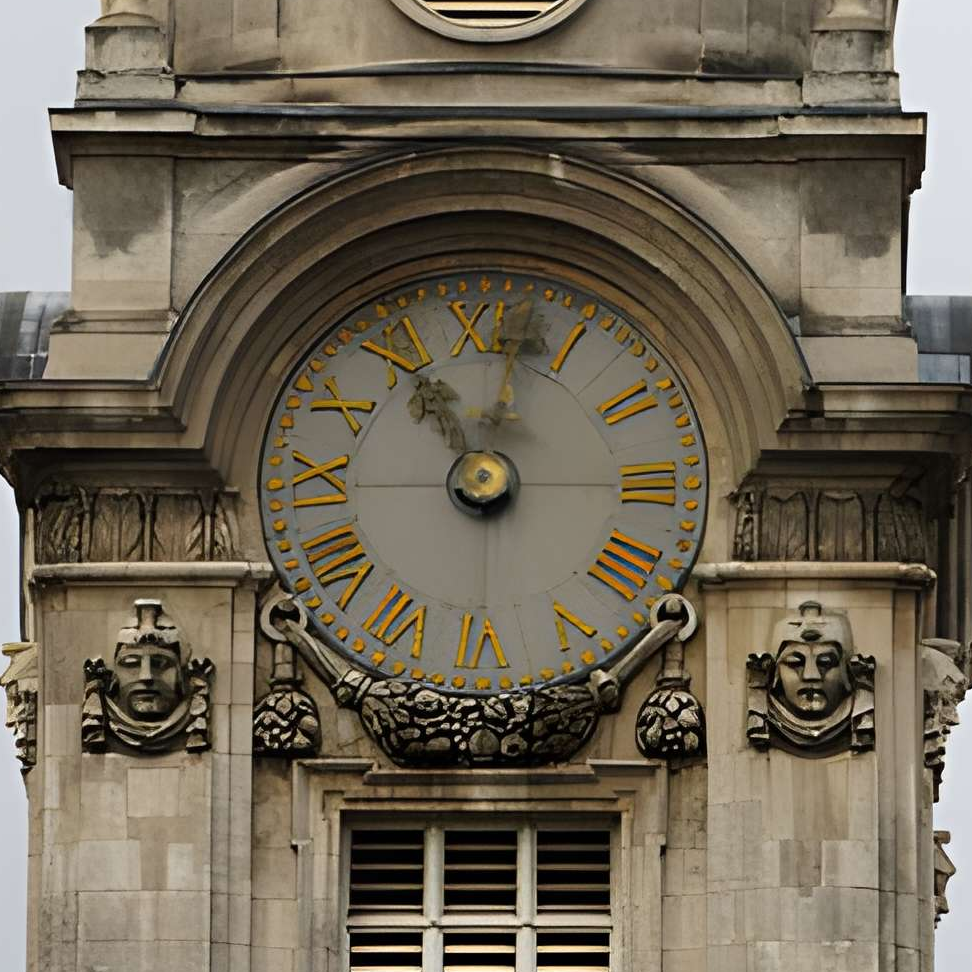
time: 11:02
